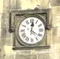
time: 12:20
